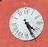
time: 4:26
